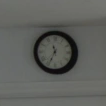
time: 11:34
